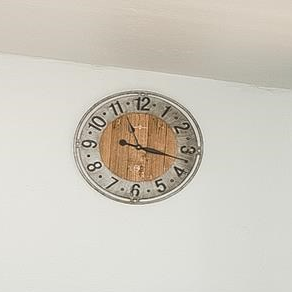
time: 11:17
